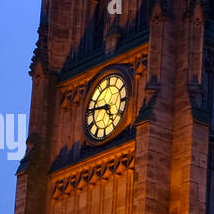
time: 4:46
